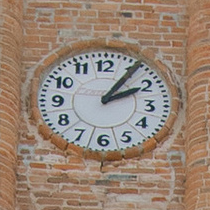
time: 2:05
